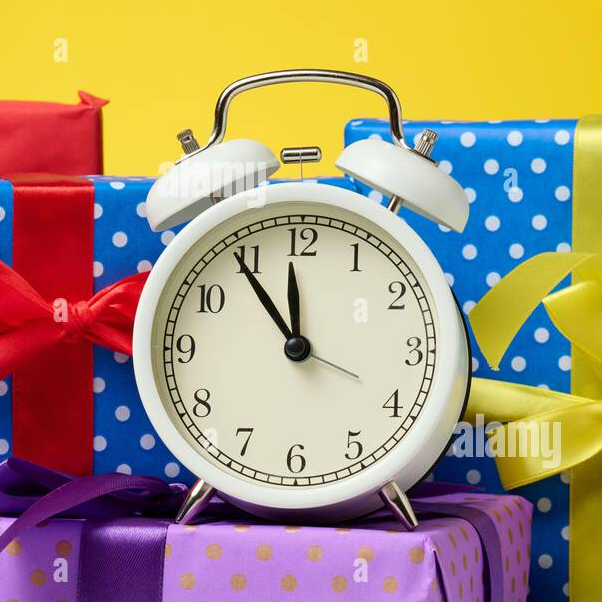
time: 11:54
